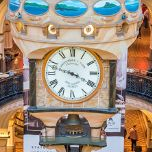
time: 3:48
